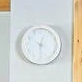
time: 12:29
